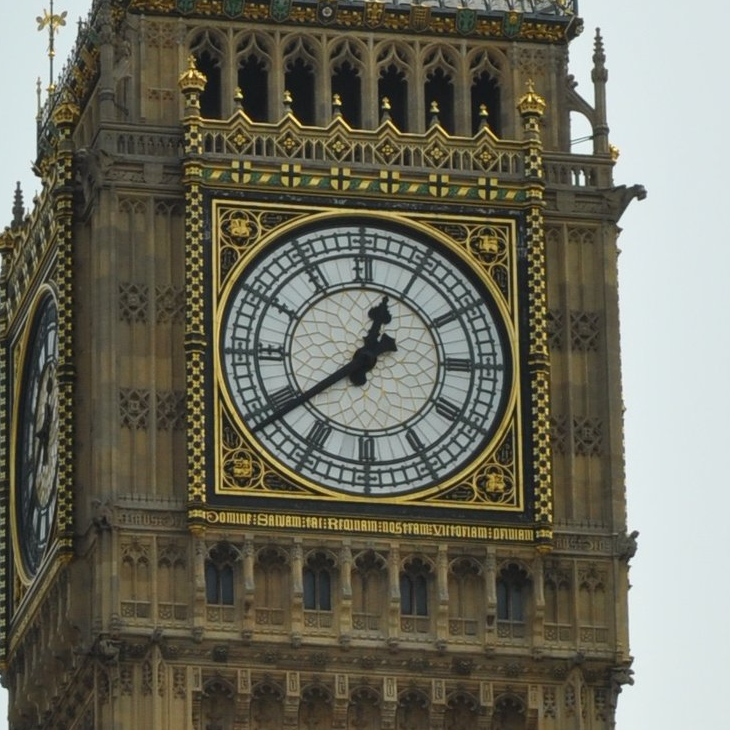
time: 12:39
